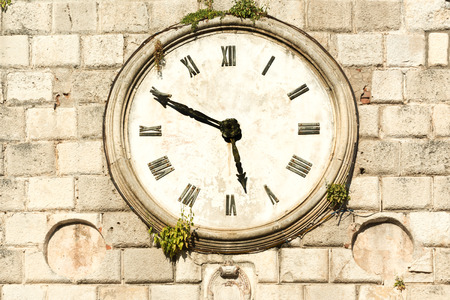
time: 5:49
